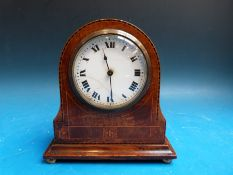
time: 11:29
